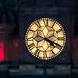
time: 4:18
